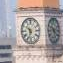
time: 10:32
